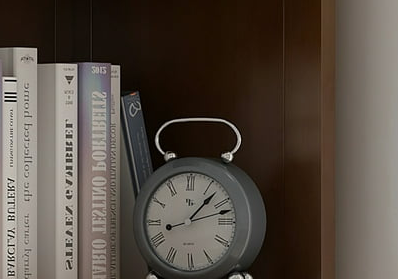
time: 1:12
